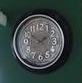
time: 1:50
